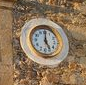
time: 5:00
